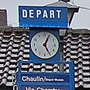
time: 5:04
